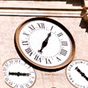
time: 7:05
